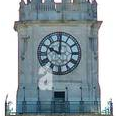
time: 10:00
